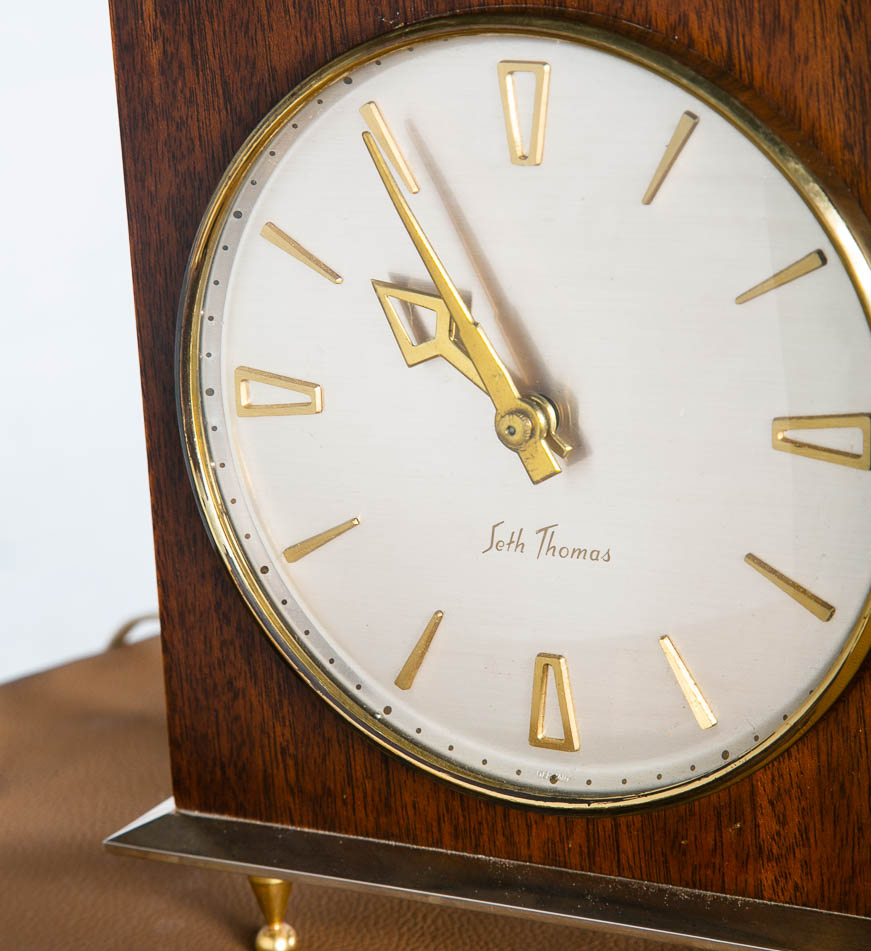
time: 9:54
